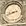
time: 8:41
